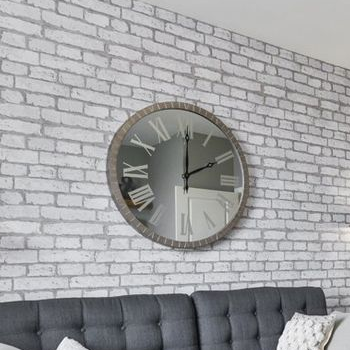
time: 2:00
